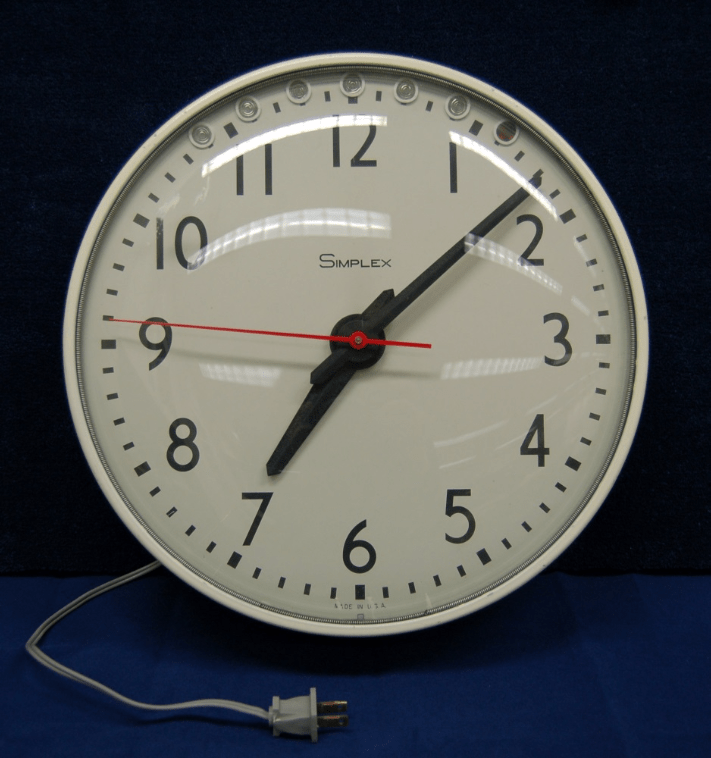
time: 7:08
